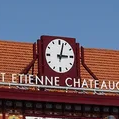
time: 3:02
